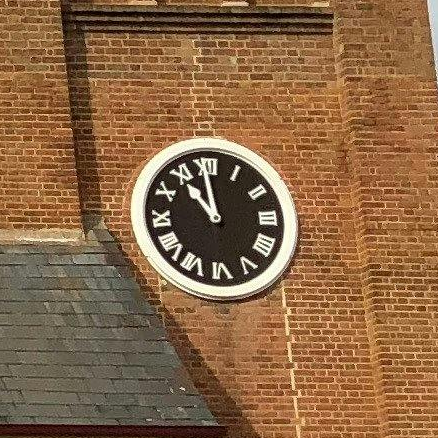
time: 10:59
